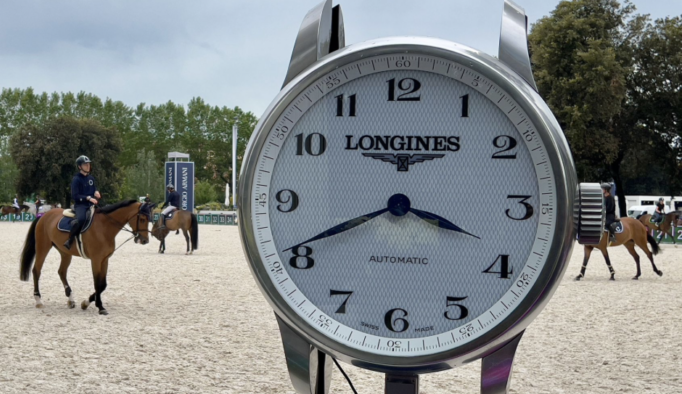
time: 3:40
